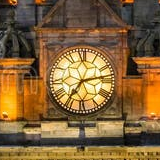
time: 7:13
